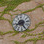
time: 8:25
